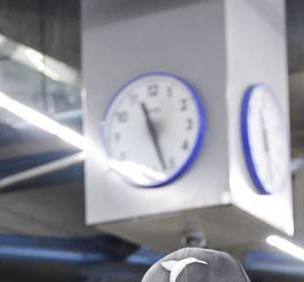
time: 11:26
